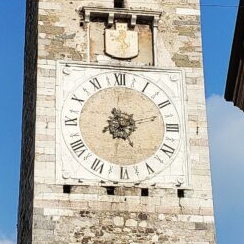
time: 5:12
